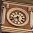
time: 5:41
